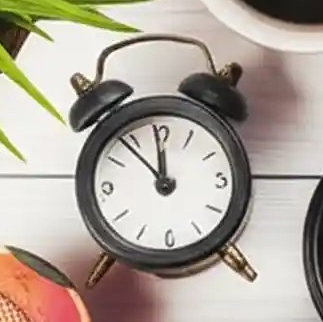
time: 11:53
